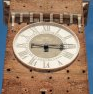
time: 9:15
